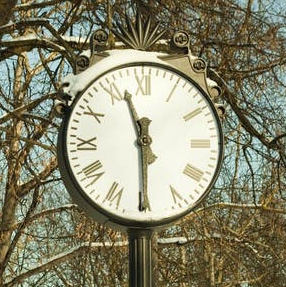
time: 11:29
